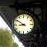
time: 8:50
